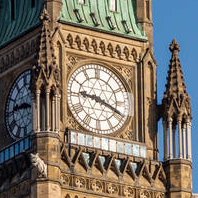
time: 9:18
